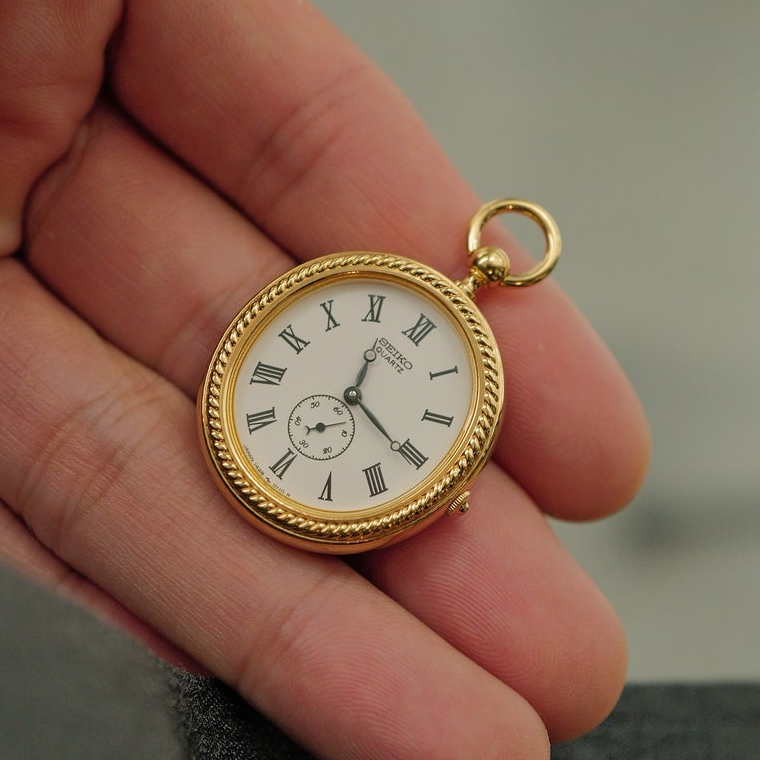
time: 12:20
